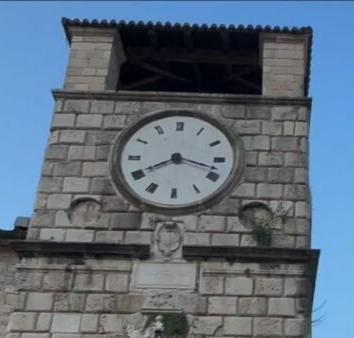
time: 3:40
